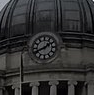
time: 1:41
